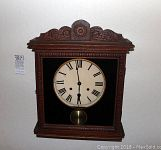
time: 5:58
